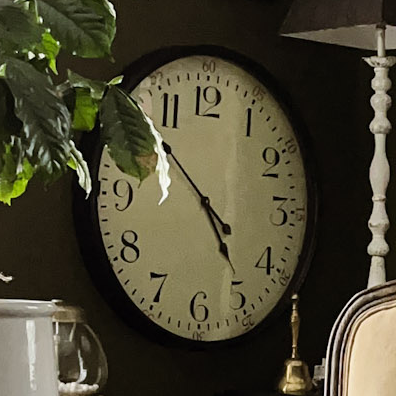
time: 4:52
